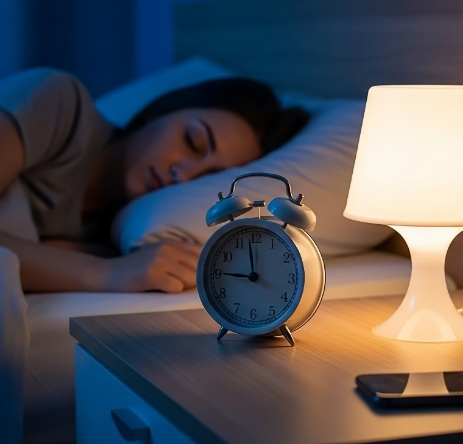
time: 11:45
